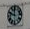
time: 11:48
